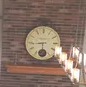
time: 5:43
